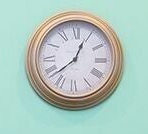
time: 12:38
